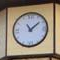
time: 11:08
